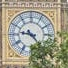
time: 9:23
